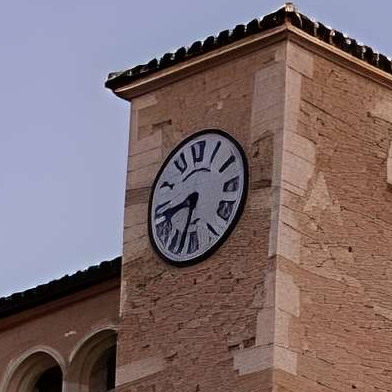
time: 8:32
